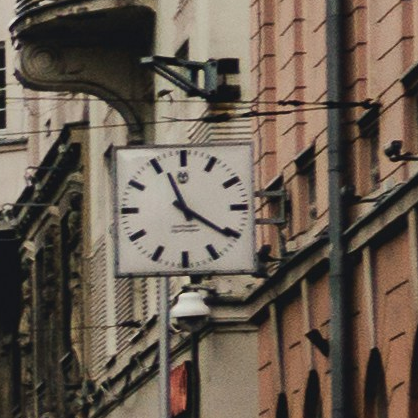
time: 11:20
